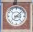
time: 3:07
